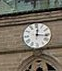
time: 12:16
